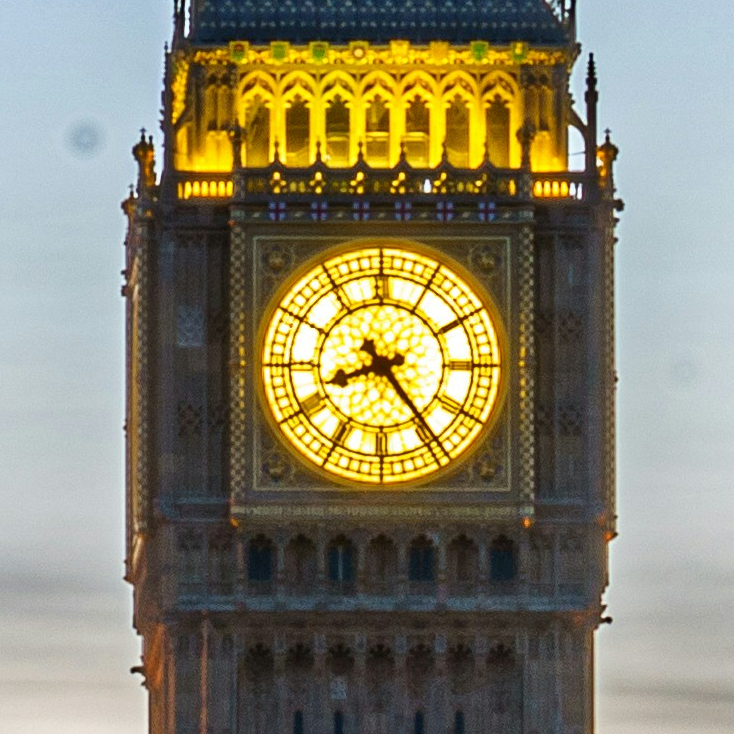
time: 8:23
